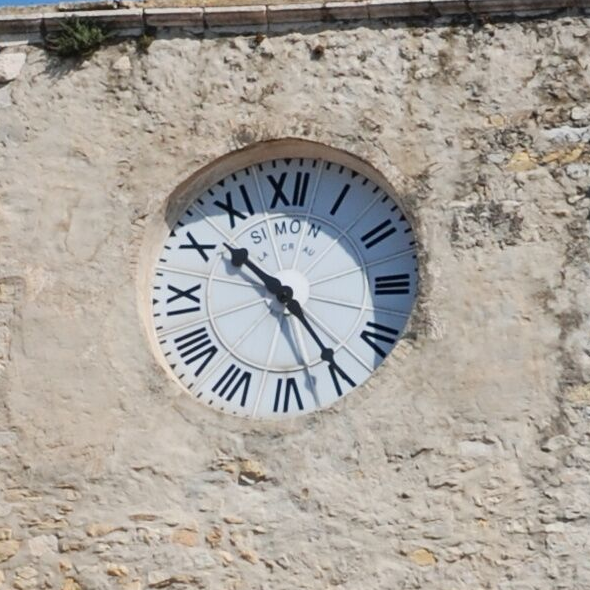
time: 10:24
